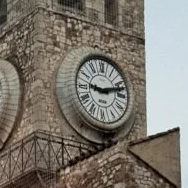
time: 9:12
